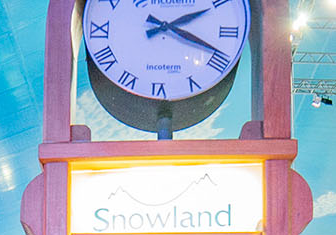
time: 2:19
